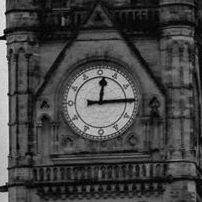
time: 12:14
